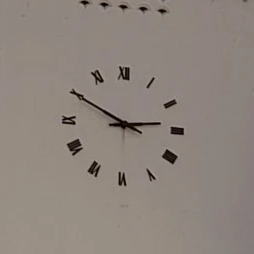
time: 2:49
